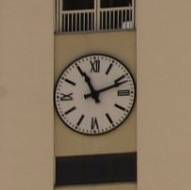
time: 11:11
